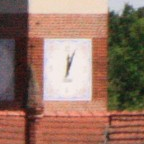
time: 12:04
